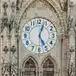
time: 5:03
